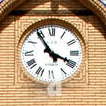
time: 3:54
